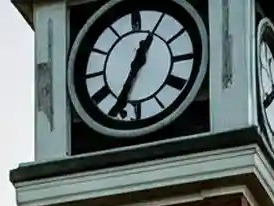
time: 12:34
